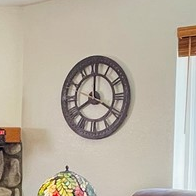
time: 7:59
